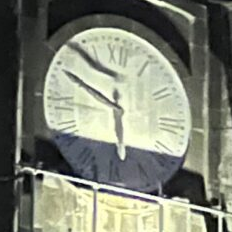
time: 5:49
